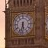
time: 5:32
